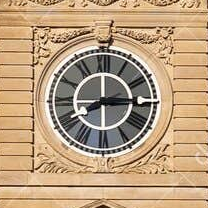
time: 8:14
